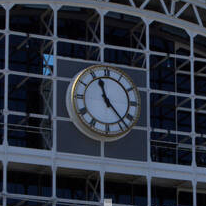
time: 11:22
